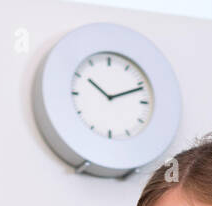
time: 10:11
